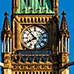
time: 7:52
